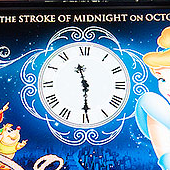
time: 11:29
